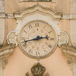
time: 2:42
